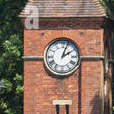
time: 2:03
